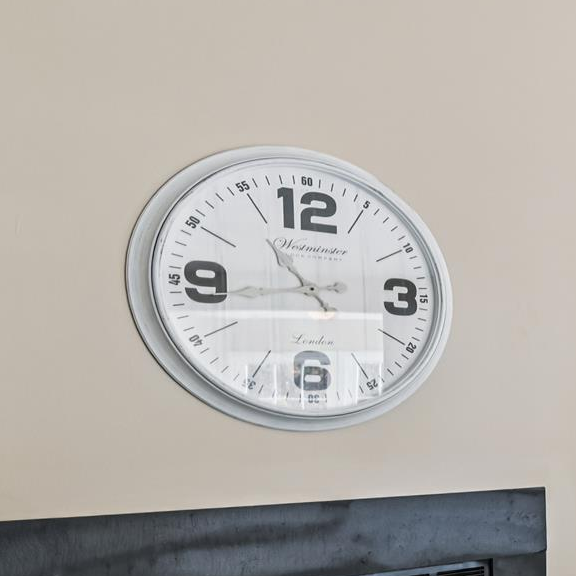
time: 10:43
